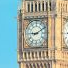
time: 9:10
